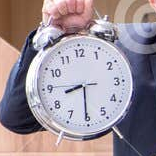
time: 8:30
